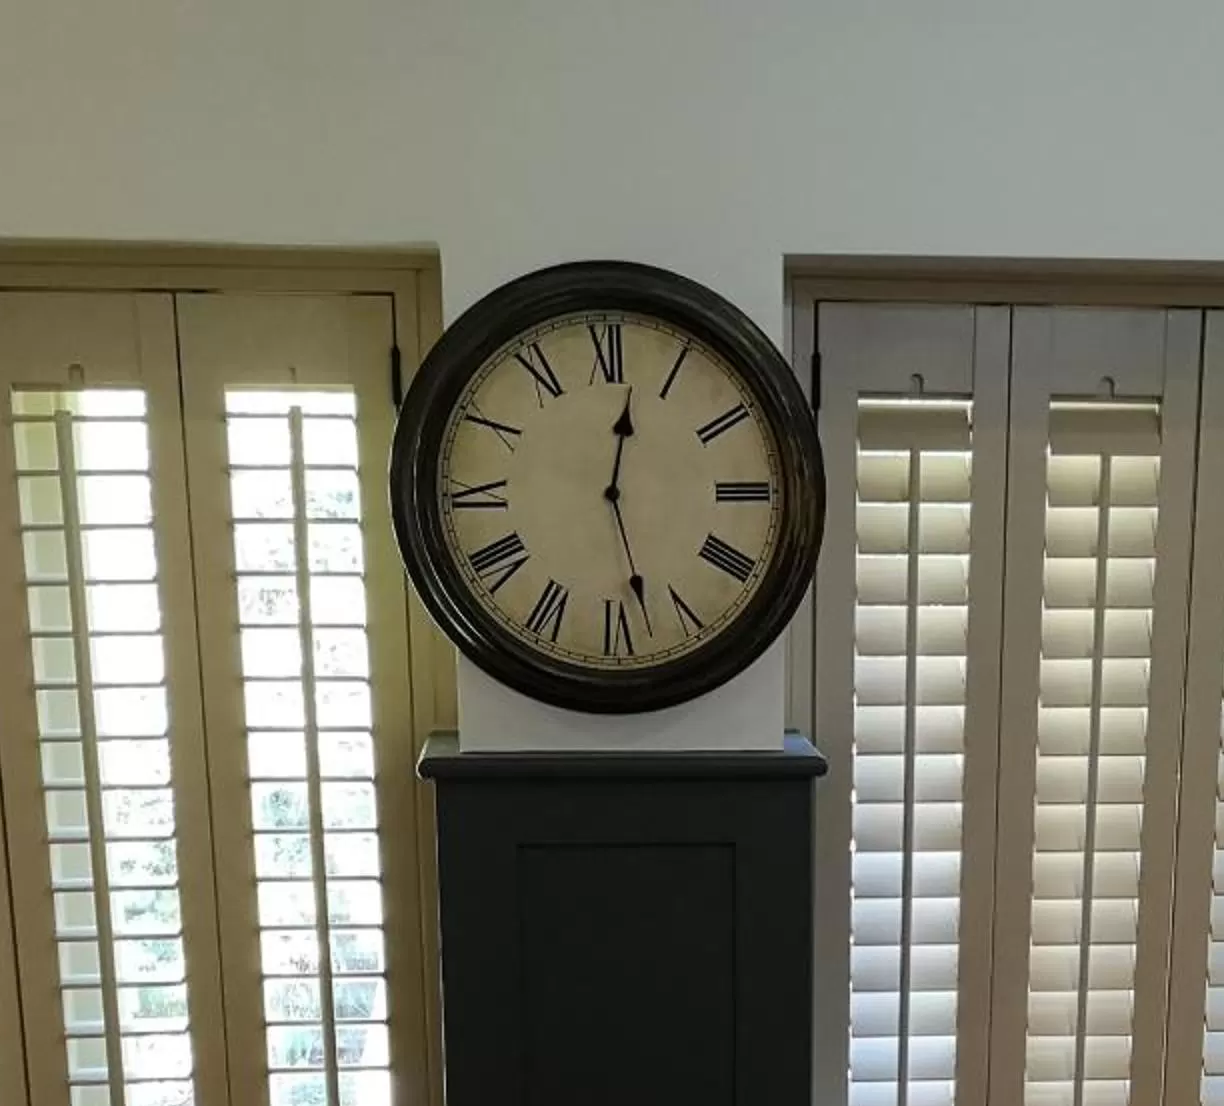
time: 12:27
